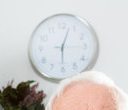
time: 6:03
